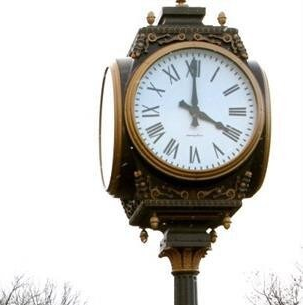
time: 4:00
